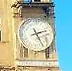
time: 2:25
